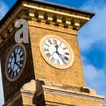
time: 12:23
